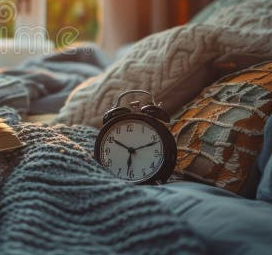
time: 10:12
